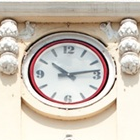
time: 10:13
